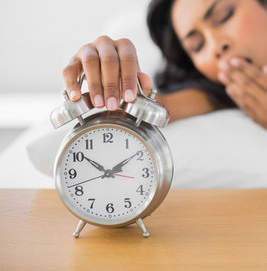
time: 1:51
